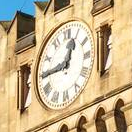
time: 12:44
